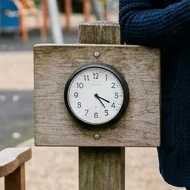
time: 4:19
